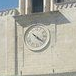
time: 4:21
